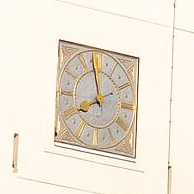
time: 7:58
